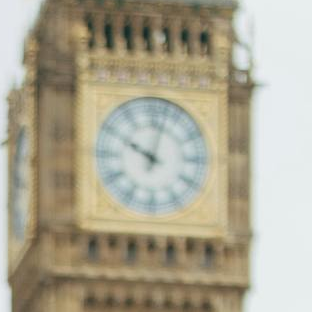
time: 10:02
